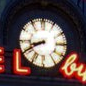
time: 8:40
